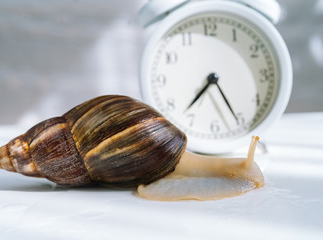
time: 7:25
